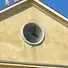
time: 4:02
